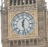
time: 12:27
